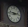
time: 2:46
